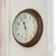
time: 11:28
